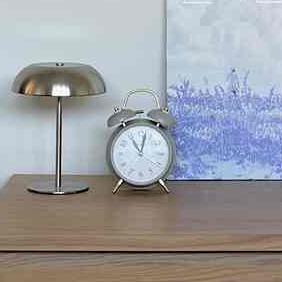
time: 11:02
